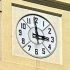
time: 2:59
